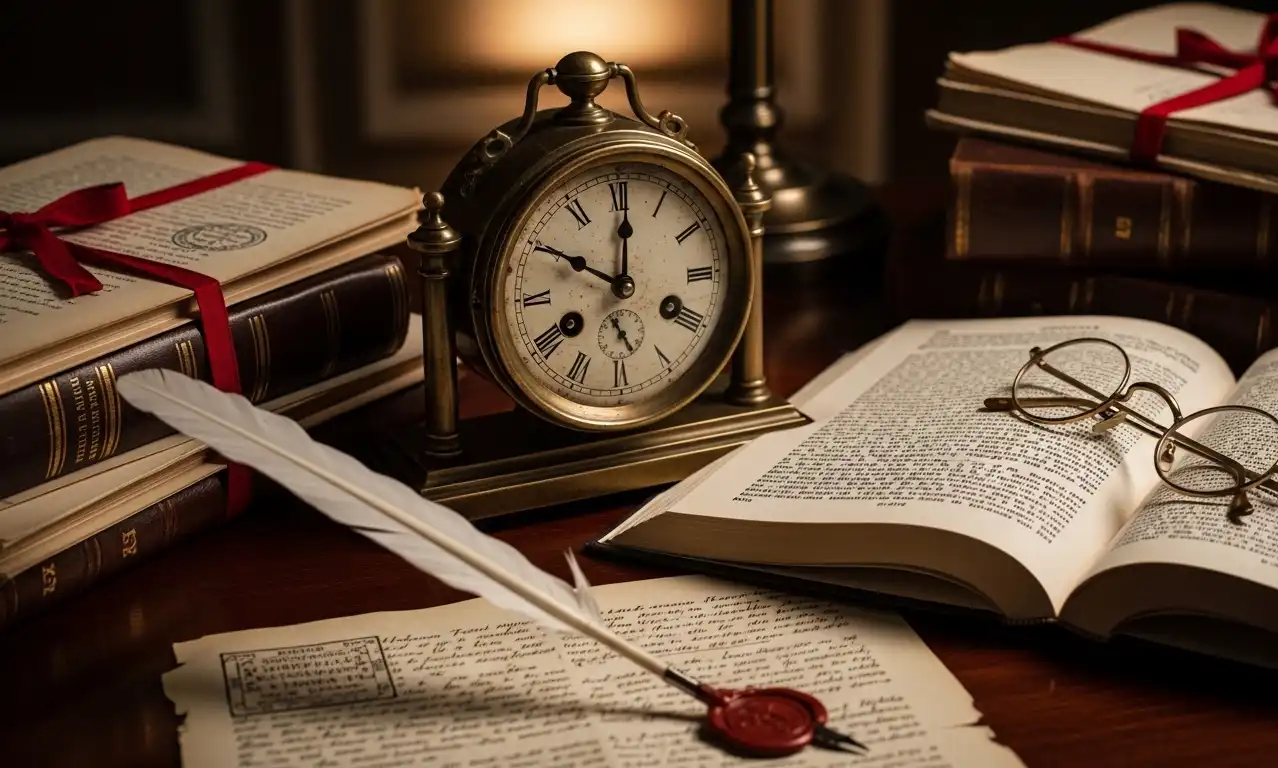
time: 10:00
